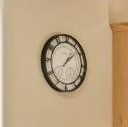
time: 1:08
